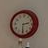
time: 2:29
